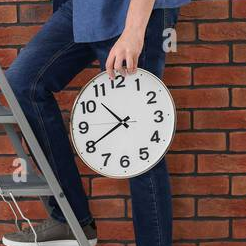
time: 10:40
